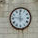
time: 11:46
